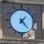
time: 1:22
